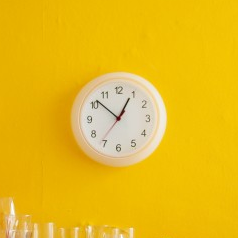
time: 12:51
